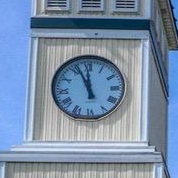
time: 11:56
